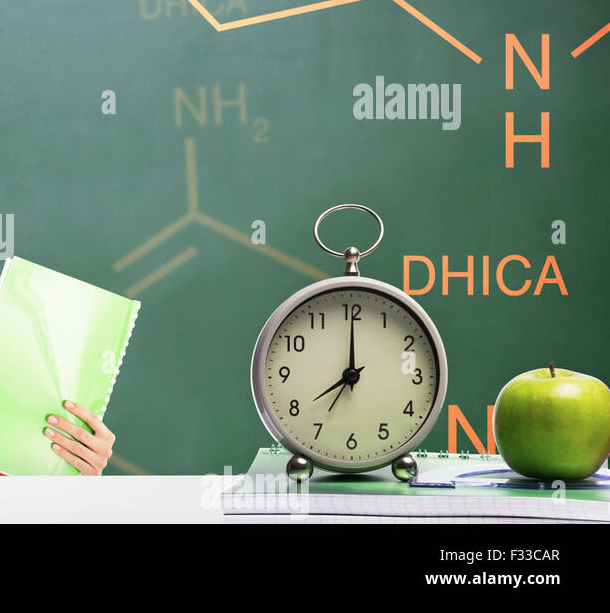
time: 8:00
